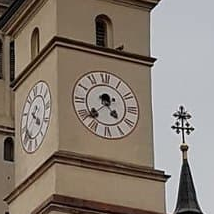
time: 4:37
